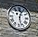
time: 12:27
